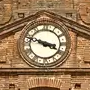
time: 3:48
